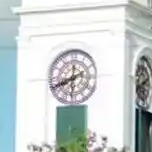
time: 11:40
